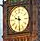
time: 9:29
